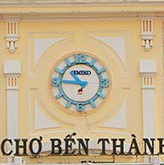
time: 10:46
